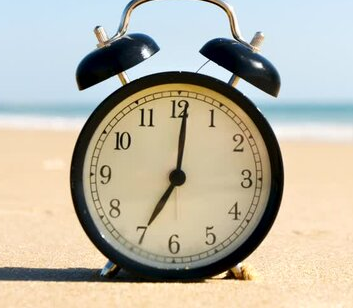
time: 7:01
